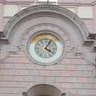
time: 4:04
